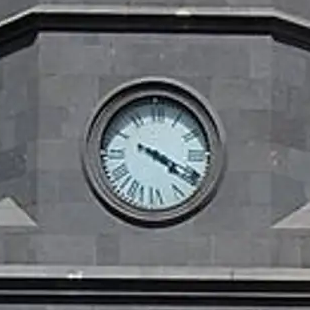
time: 4:19
